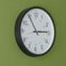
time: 2:54
